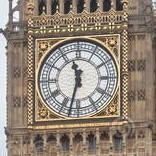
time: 11:32
